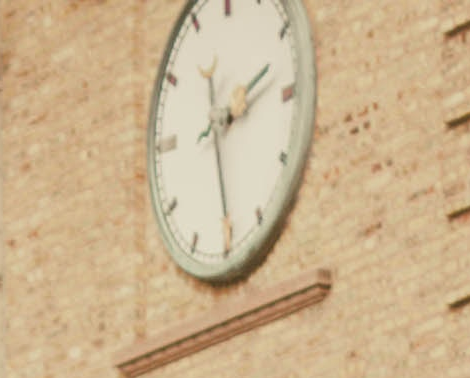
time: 2:29
